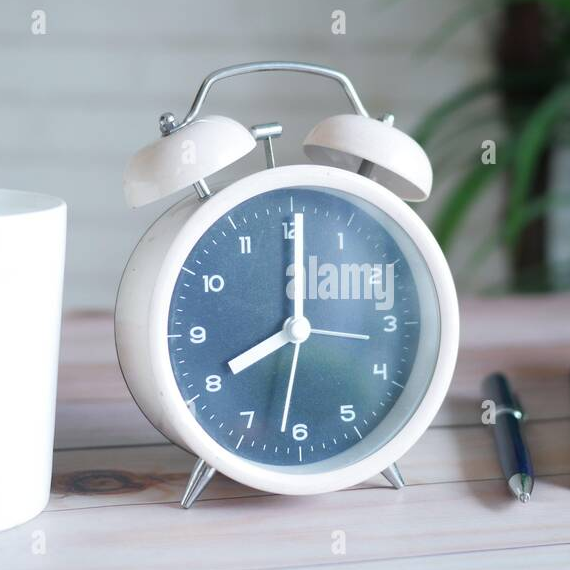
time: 8:00
